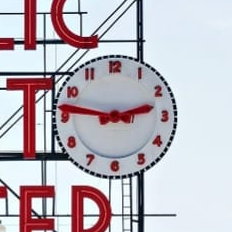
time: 2:46
